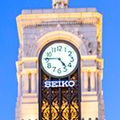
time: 4:45
